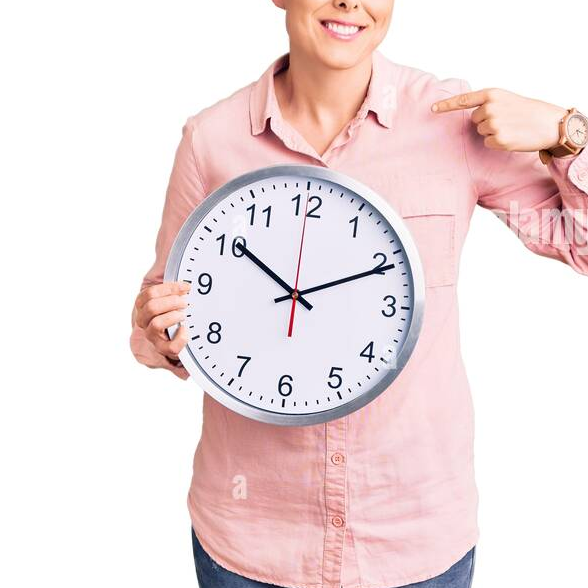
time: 10:10
